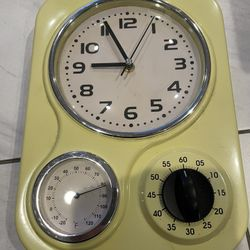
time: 8:55
